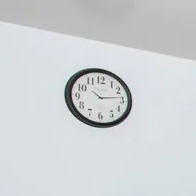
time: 10:13
